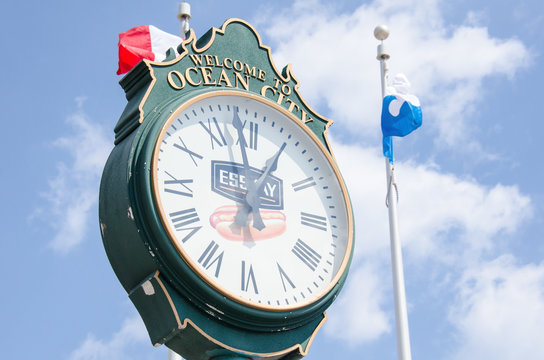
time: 12:59
